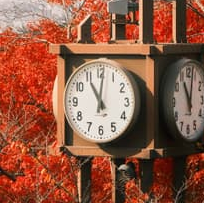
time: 11:01
